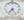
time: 7:25
